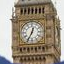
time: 12:34
